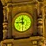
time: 11:46
